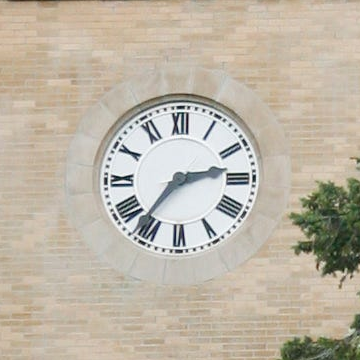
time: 2:36
